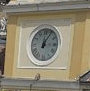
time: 12:05
